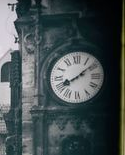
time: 8:08
